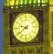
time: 9:39
